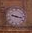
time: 9:17
